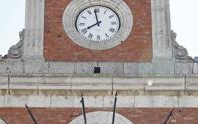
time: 7:58
